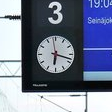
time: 6:17
